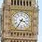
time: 3:35
